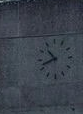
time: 10:41
